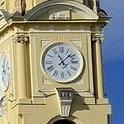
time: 11:07
